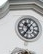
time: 10:34
